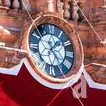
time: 1:24
